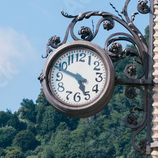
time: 4:48
